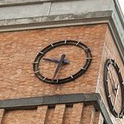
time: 9:32
